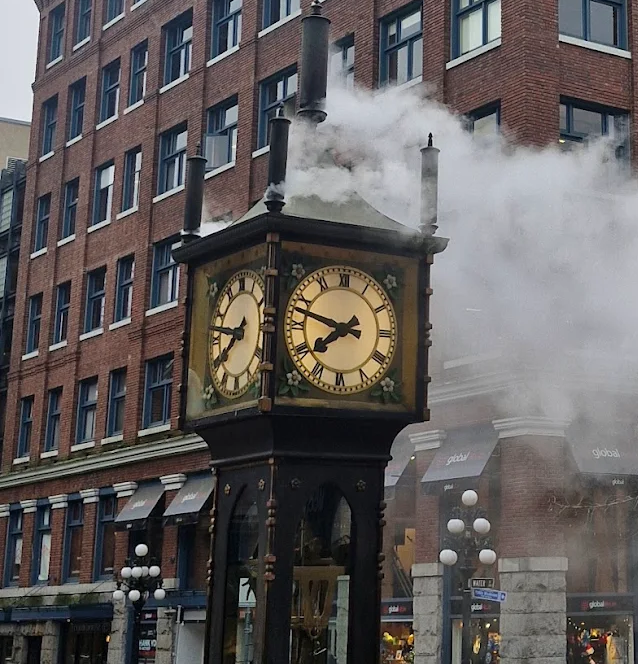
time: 7:47
